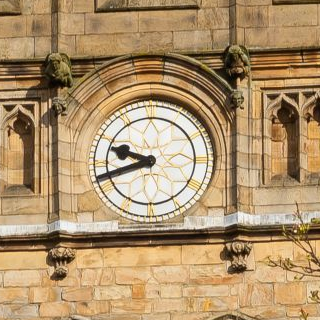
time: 9:42
